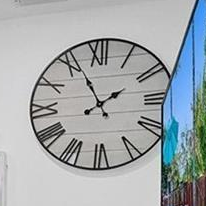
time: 1:56
